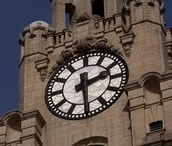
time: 2:29
